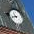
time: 10:42
